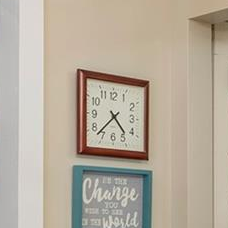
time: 4:37
